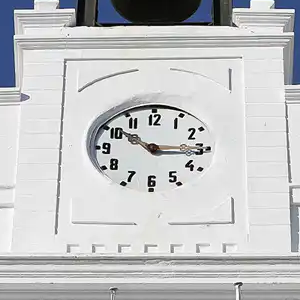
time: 10:15
